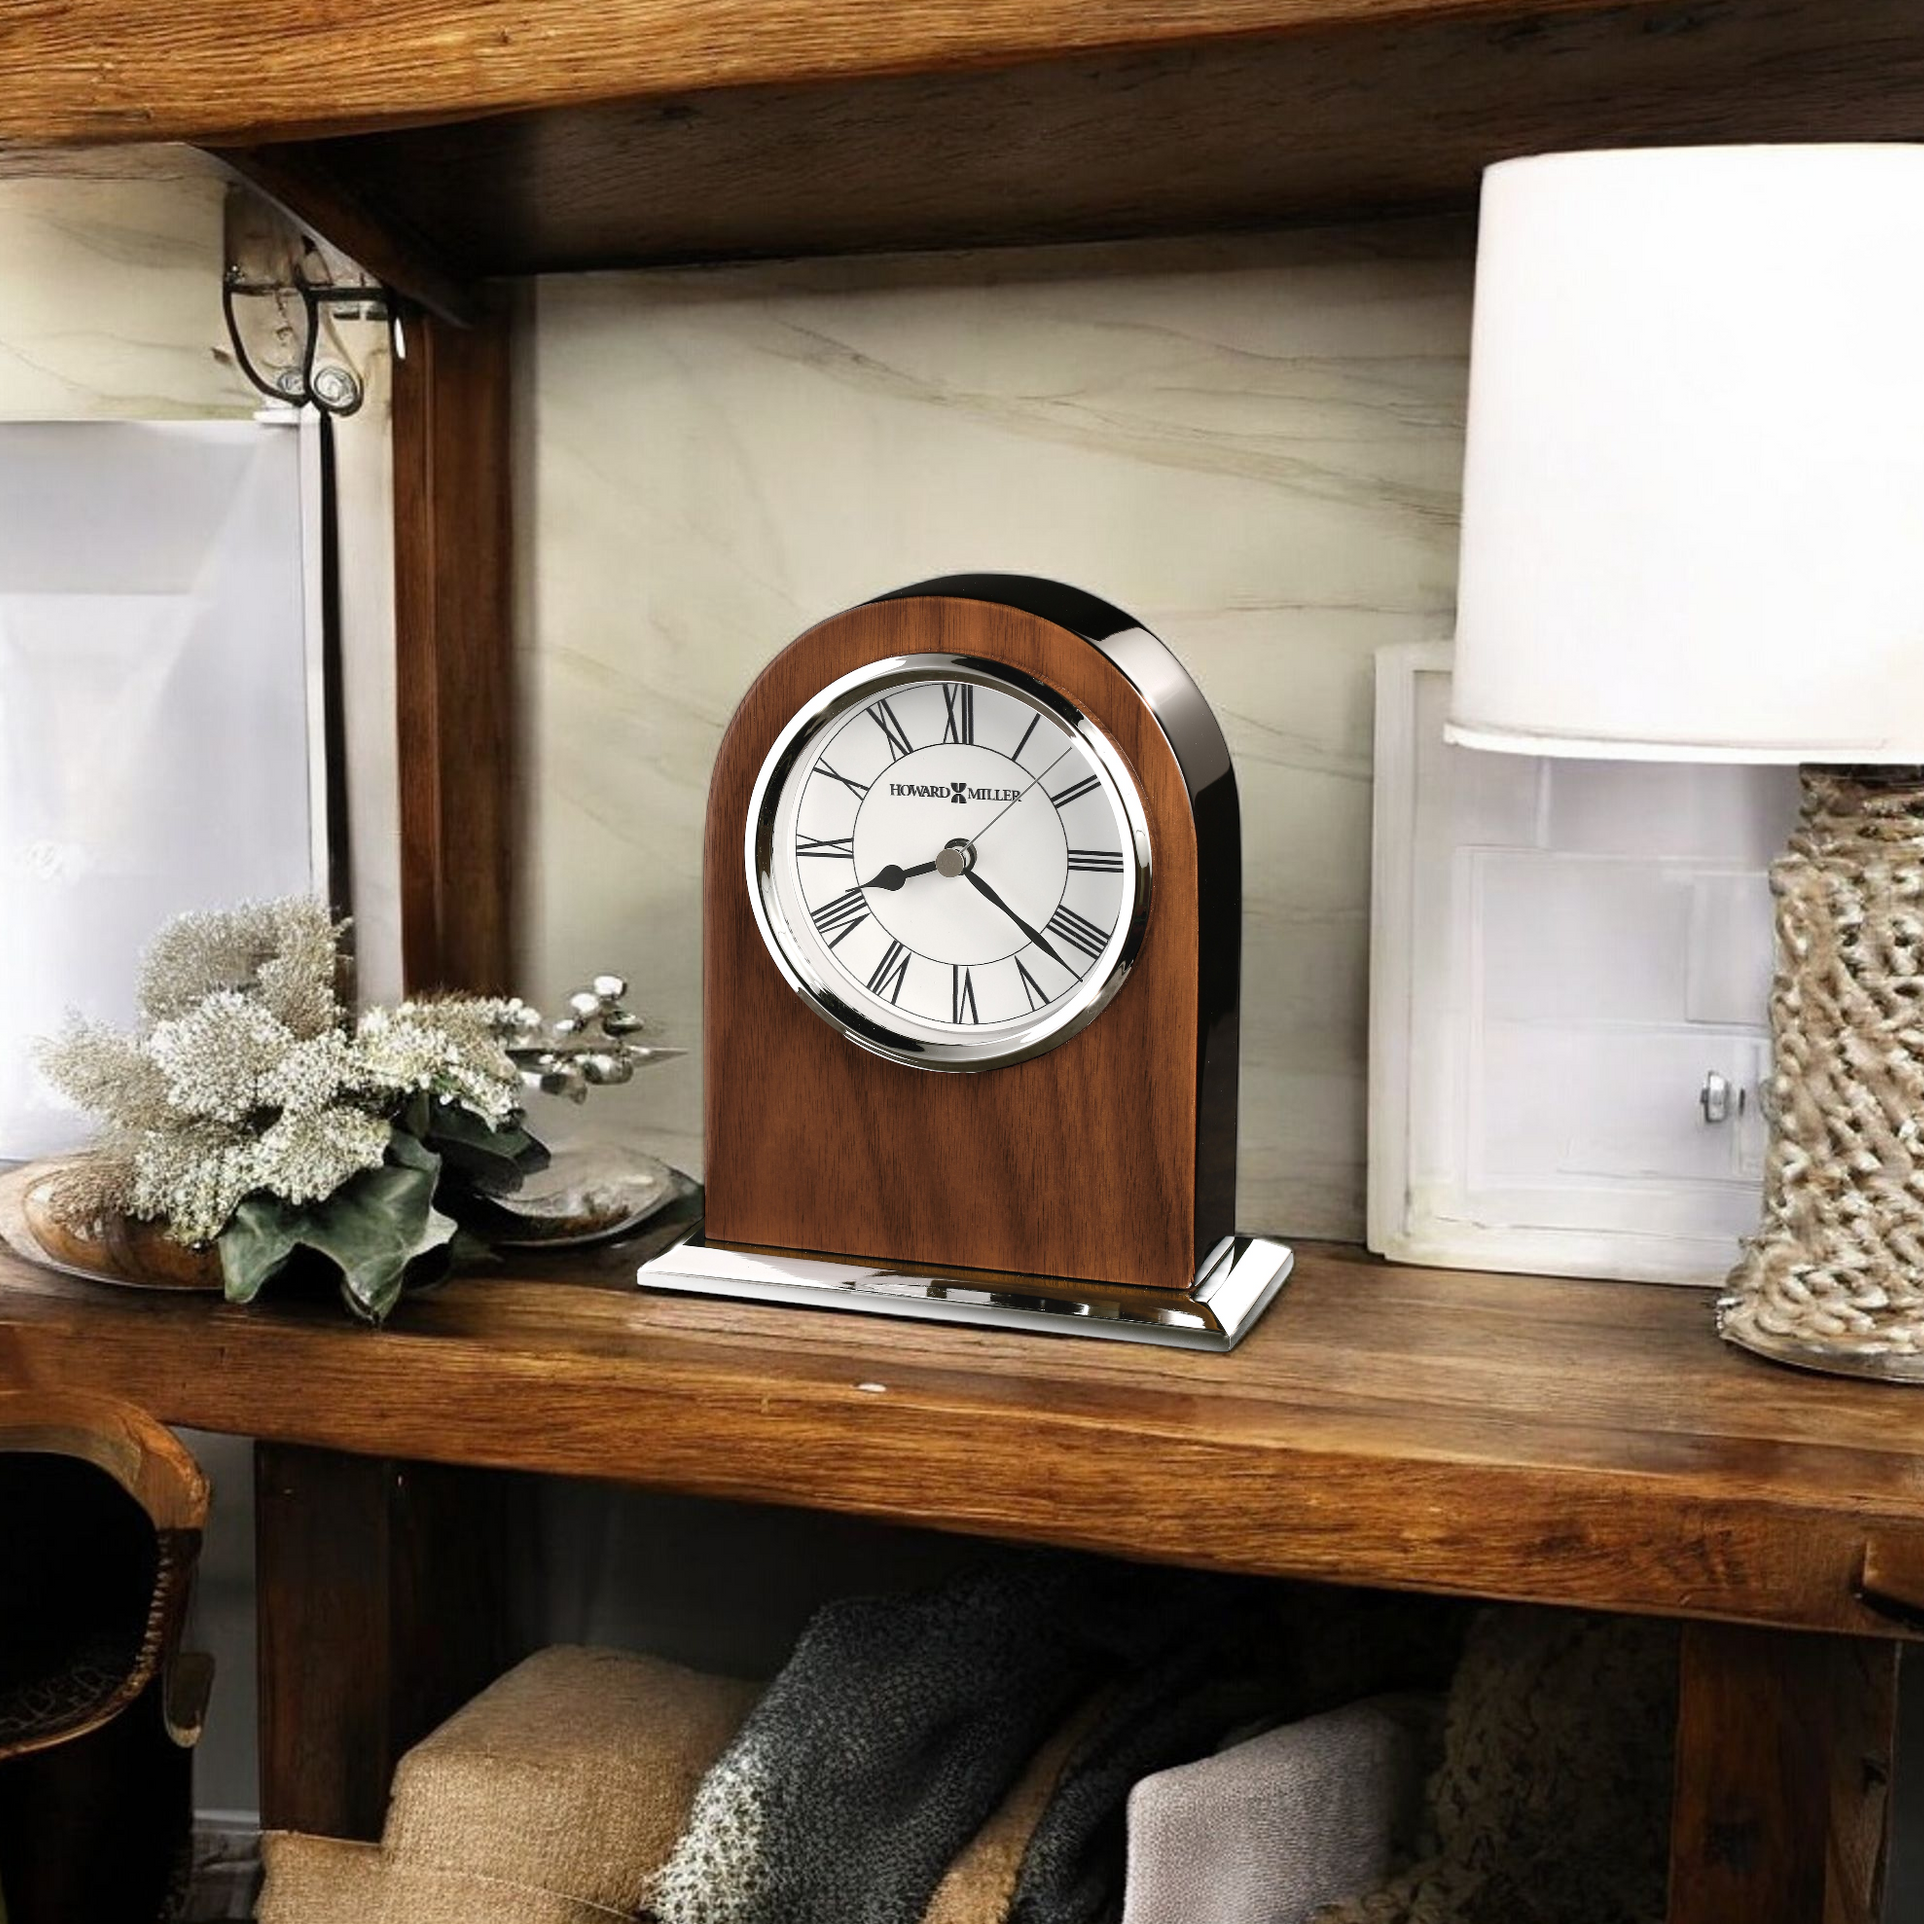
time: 8:21
